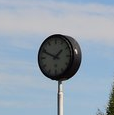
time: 1:49
